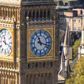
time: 11:17
